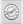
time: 1:42
